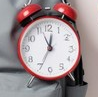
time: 12:34
